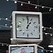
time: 1:00
